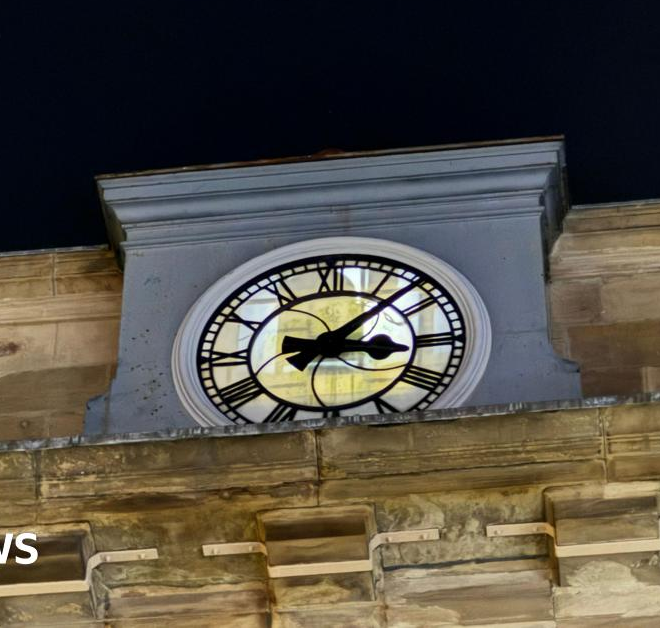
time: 3:07
